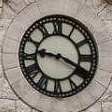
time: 9:19
